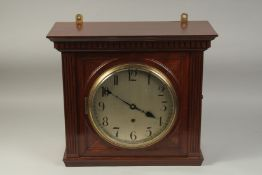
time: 3:51
